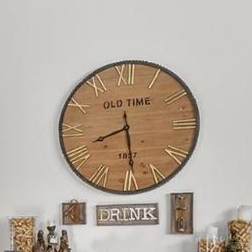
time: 8:29
